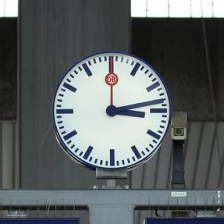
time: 3:13
